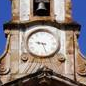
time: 9:26
